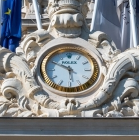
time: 5:49
